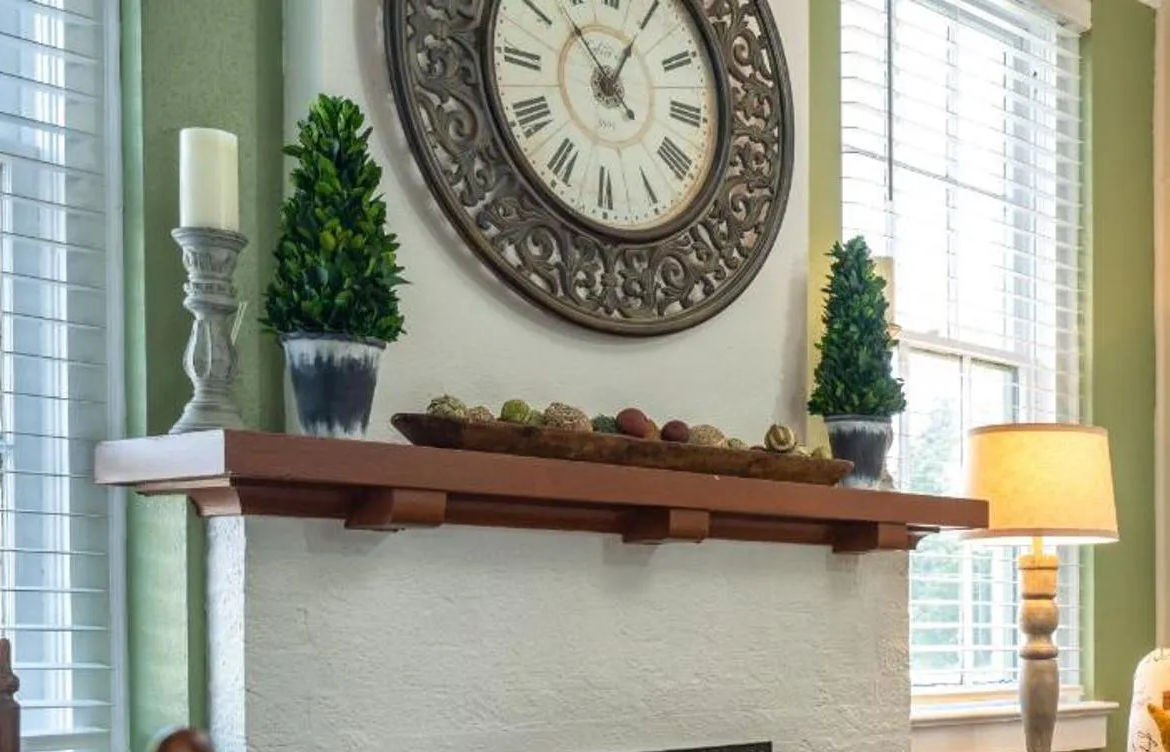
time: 12:52
